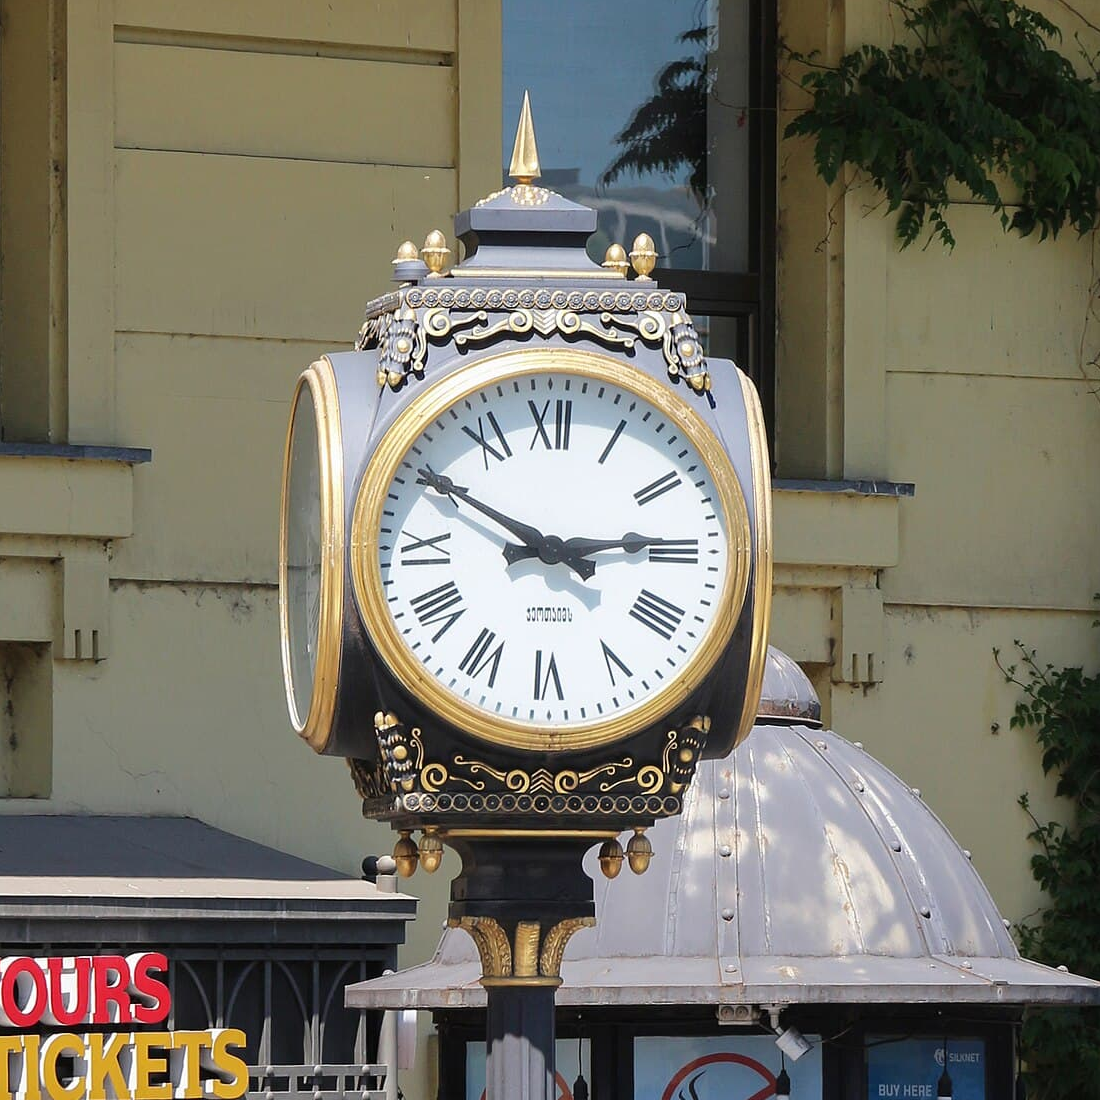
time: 2:50
